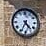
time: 4:34
